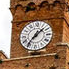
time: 1:36
